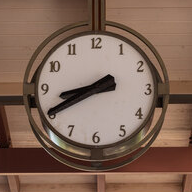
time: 8:40
